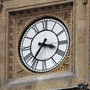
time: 3:35
